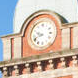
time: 9:41
